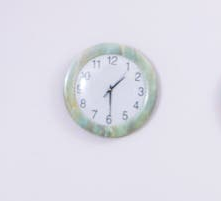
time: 1:29
